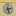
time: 2:27
